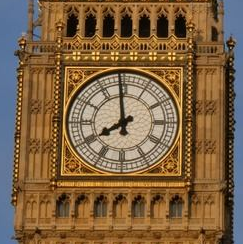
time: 7:58
